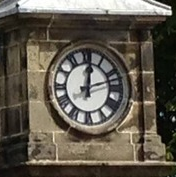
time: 12:12
